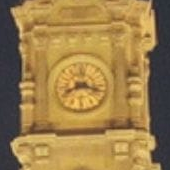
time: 8:17
